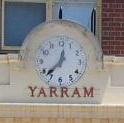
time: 12:37
